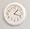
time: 1:18
